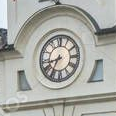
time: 8:35
